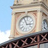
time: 2:56
